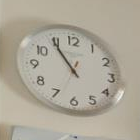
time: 10:54
